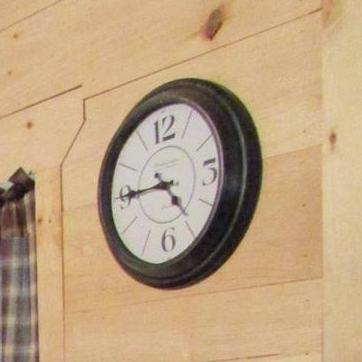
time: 4:44
